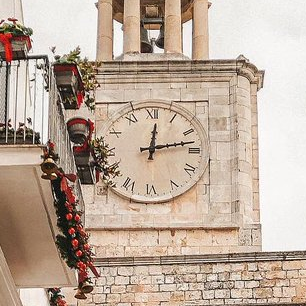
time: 12:13
